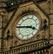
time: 3:46
